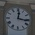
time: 12:16
